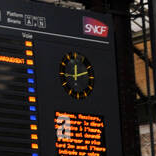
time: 12:12
